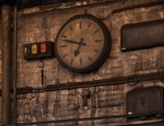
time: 6:47
